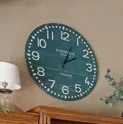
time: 2:03
